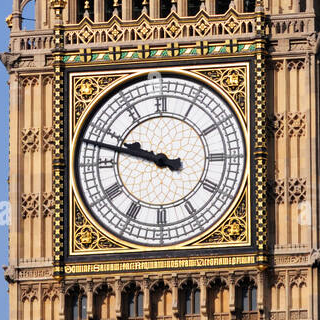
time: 9:47
